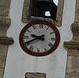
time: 9:40
